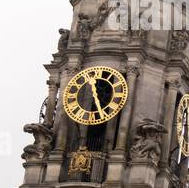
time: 11:25
